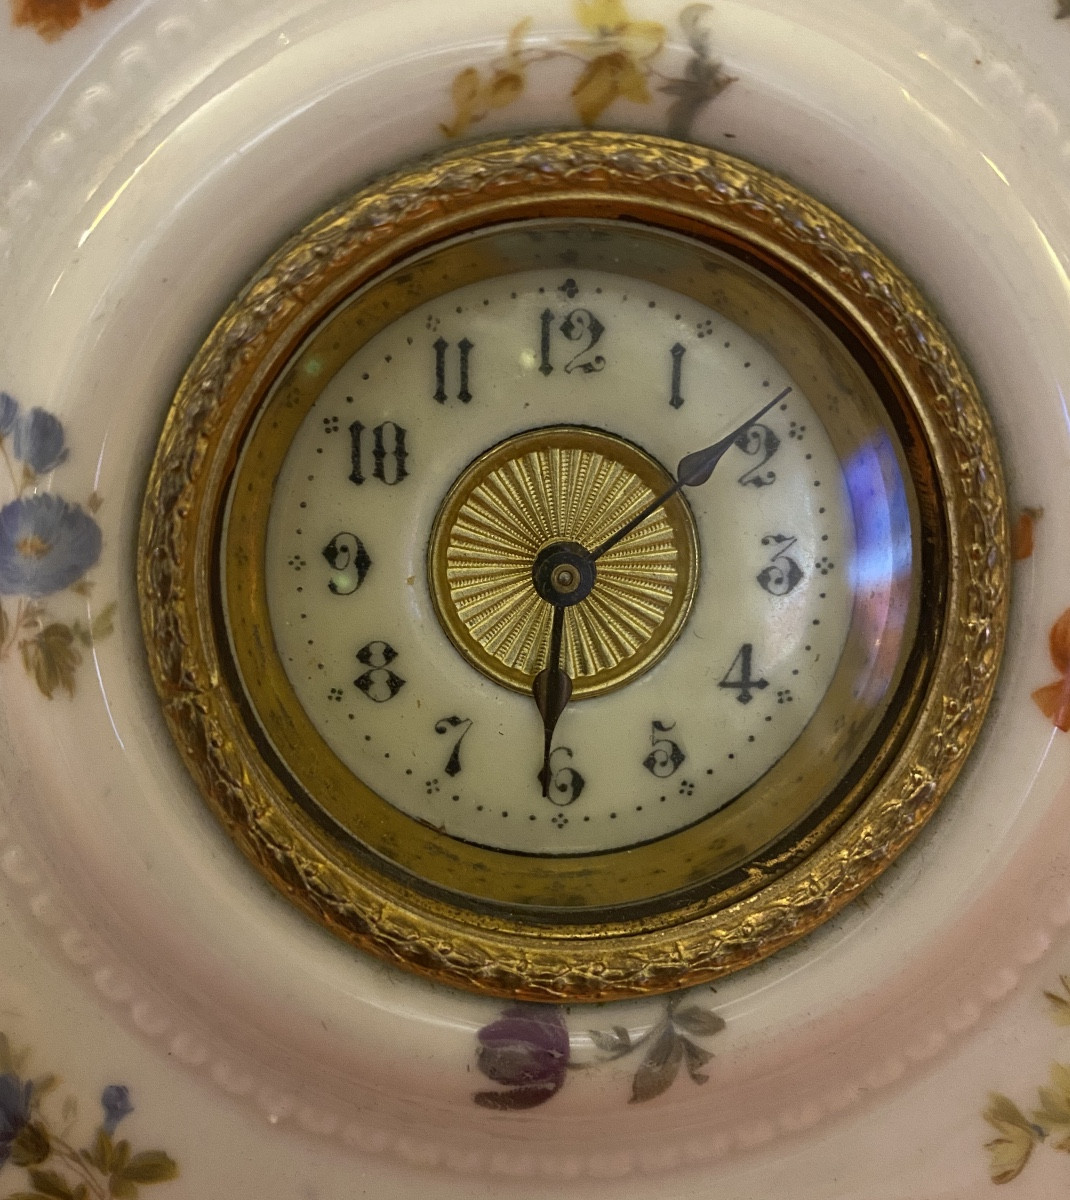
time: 6:08
